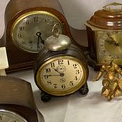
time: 10:45
